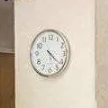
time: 4:21
